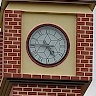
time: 4:45
